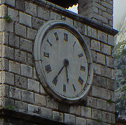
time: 5:35
